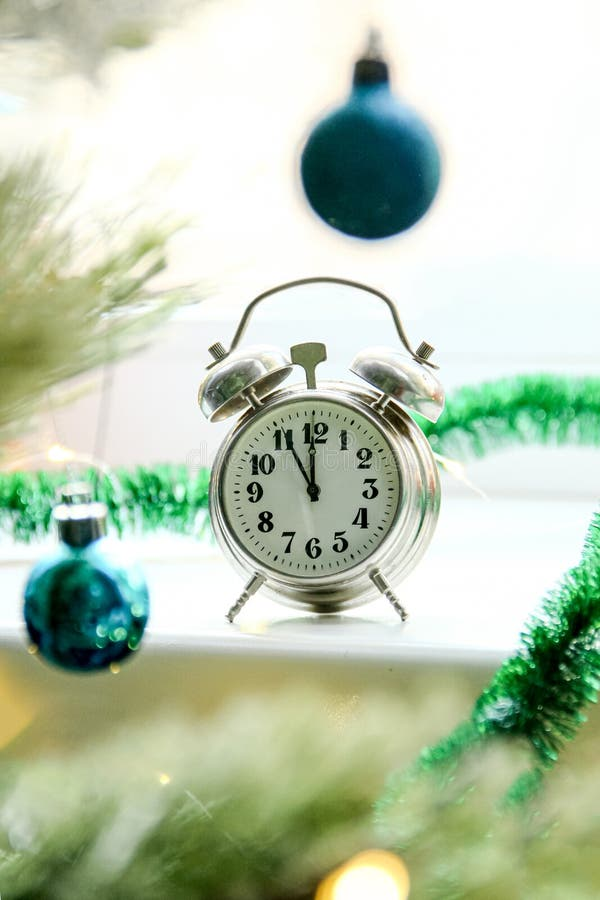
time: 10:59
